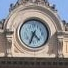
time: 4:34
